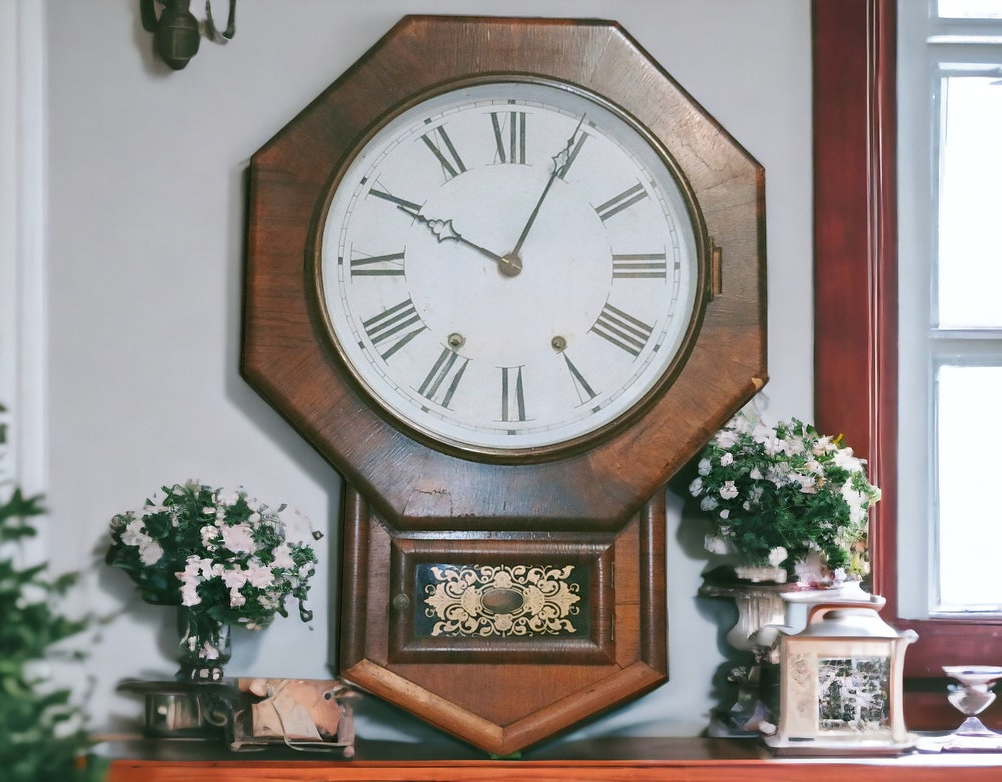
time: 10:04
